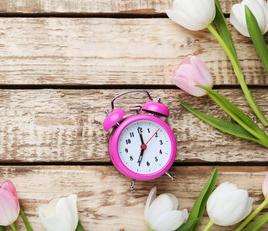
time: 7:00
